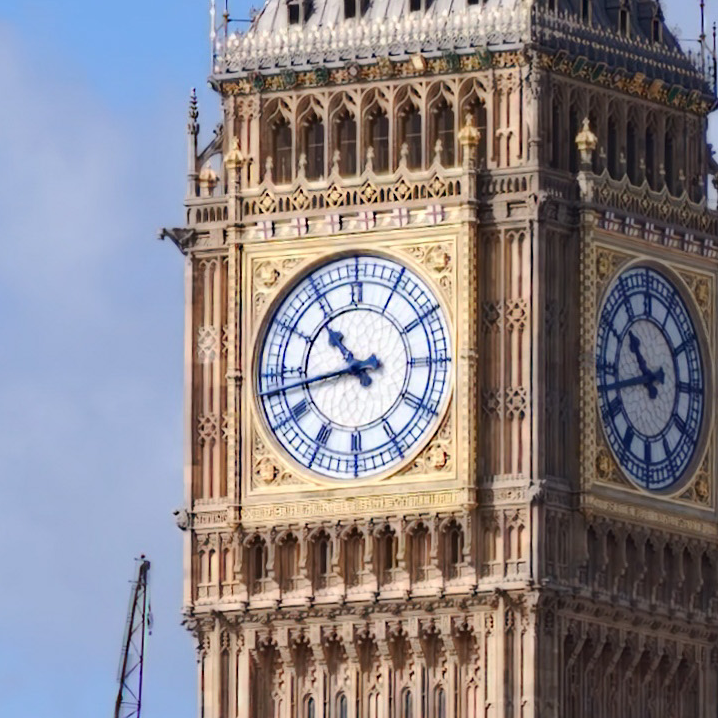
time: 10:43
